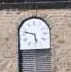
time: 5:47
